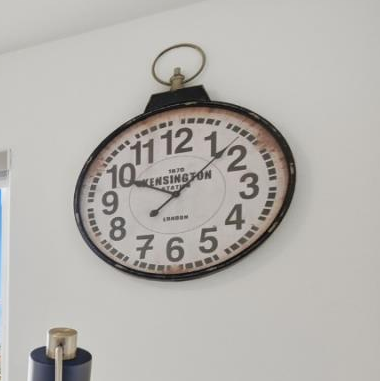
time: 10:07
